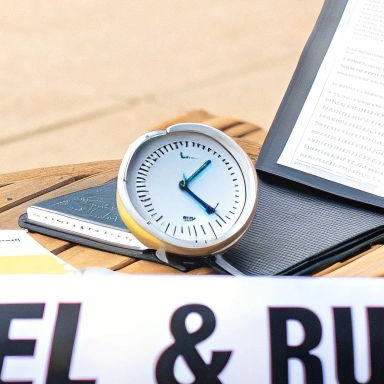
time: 1:22
